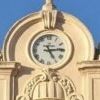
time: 5:14
